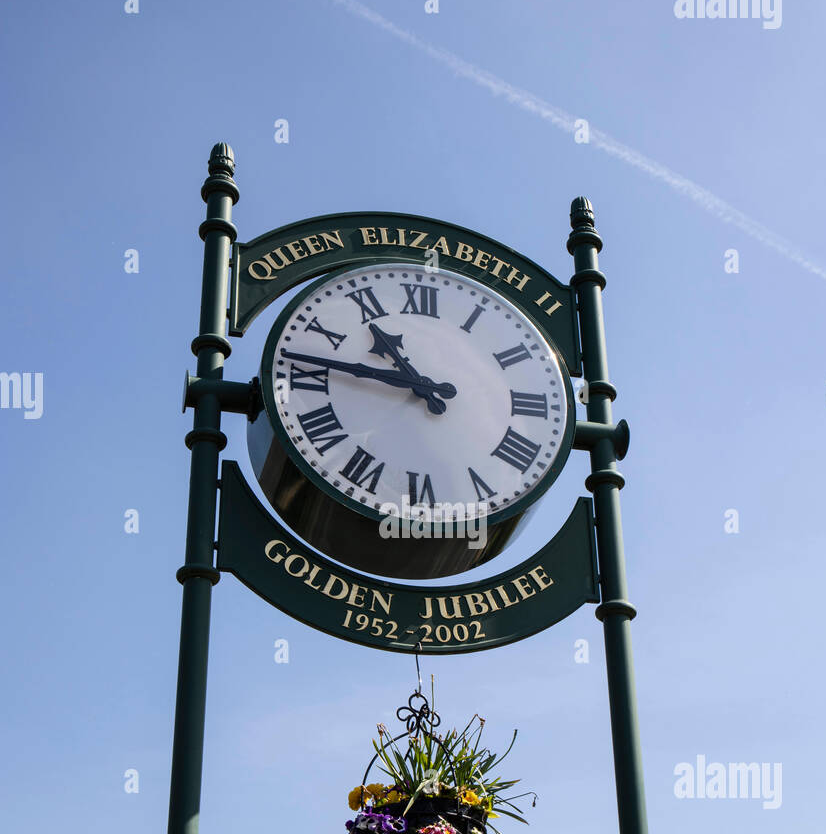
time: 10:46
